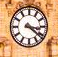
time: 3:21
